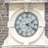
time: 2:19
